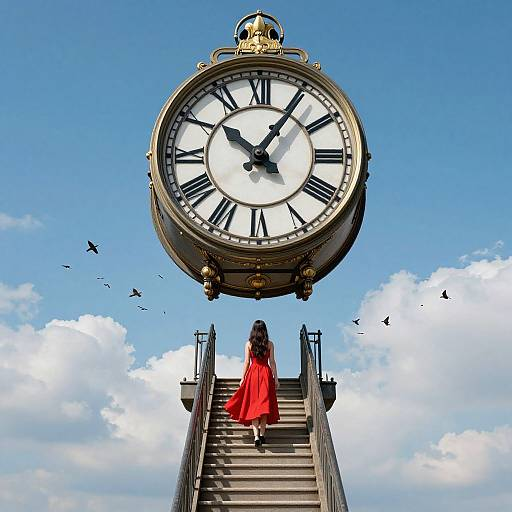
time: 10:05
